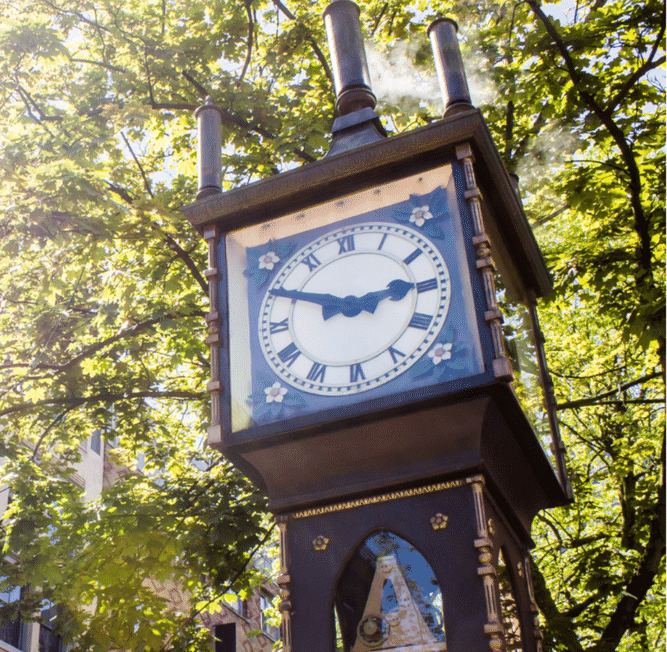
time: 2:50
